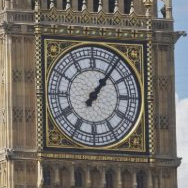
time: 1:06
